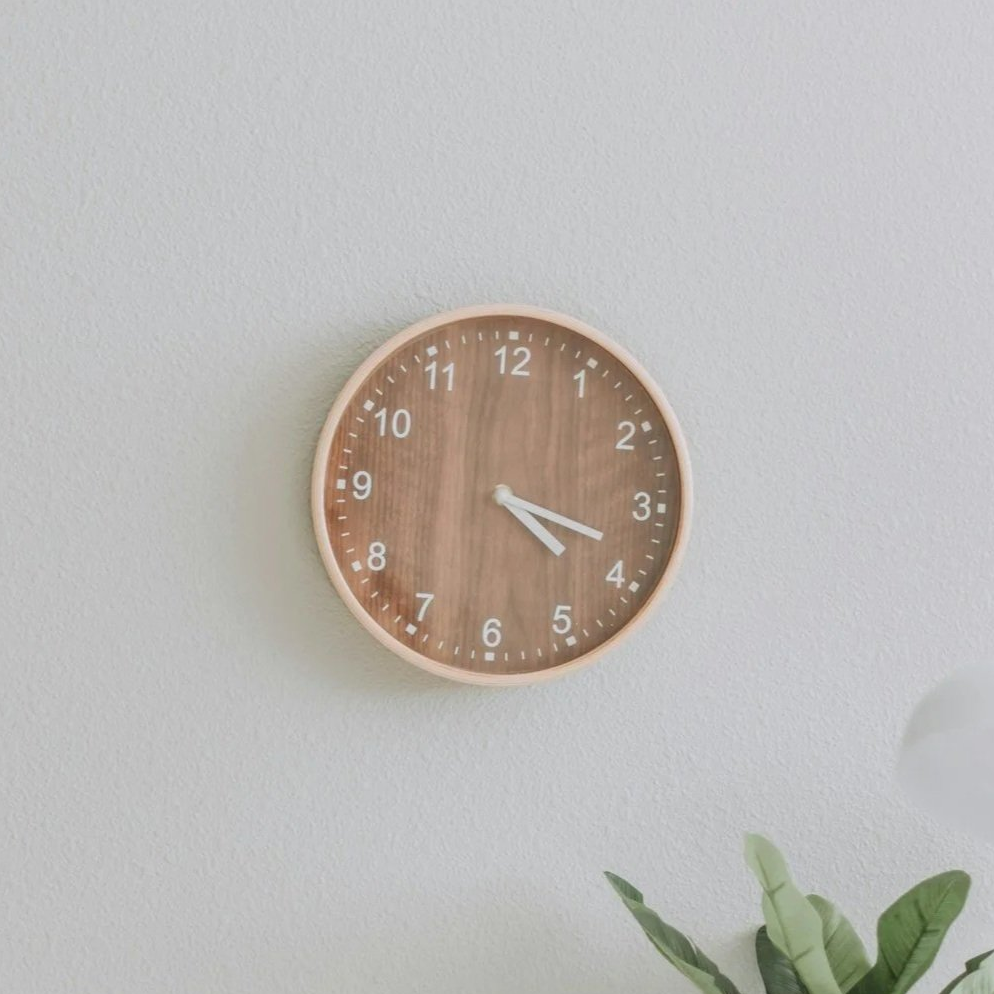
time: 4:18
